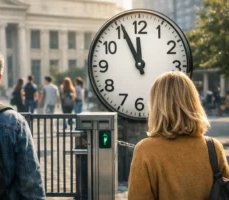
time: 11:55
